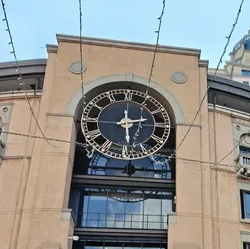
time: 2:29
